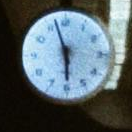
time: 5:57
